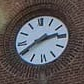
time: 2:40
